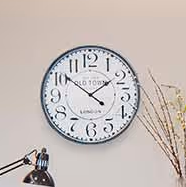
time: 1:51
